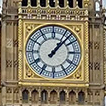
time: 1:07
